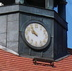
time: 9:54
